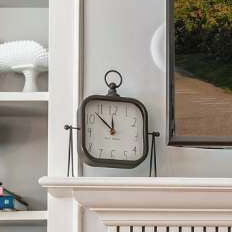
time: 11:52
